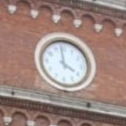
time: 3:58
